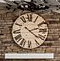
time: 2:21
